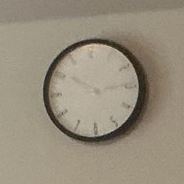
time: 10:14
